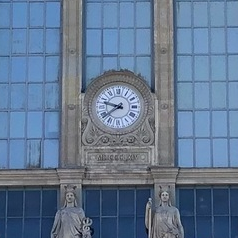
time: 9:38
